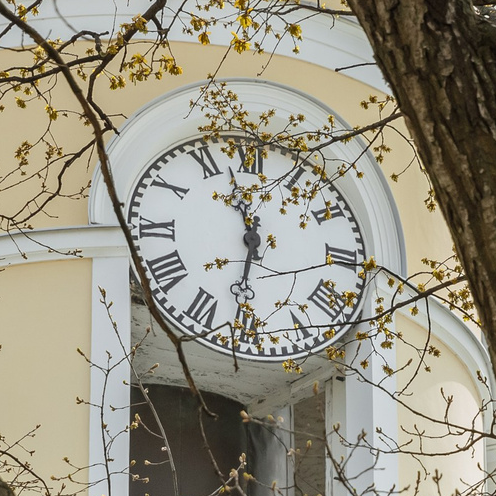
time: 11:31
